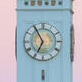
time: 6:55
